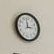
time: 2:58
